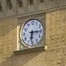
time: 6:15
